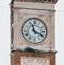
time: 11:19
